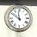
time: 11:50
